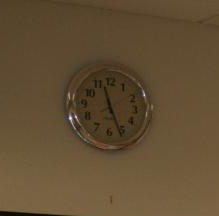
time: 11:26
